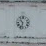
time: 10:32
